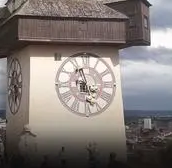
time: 3:57
